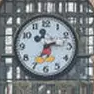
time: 2:35
